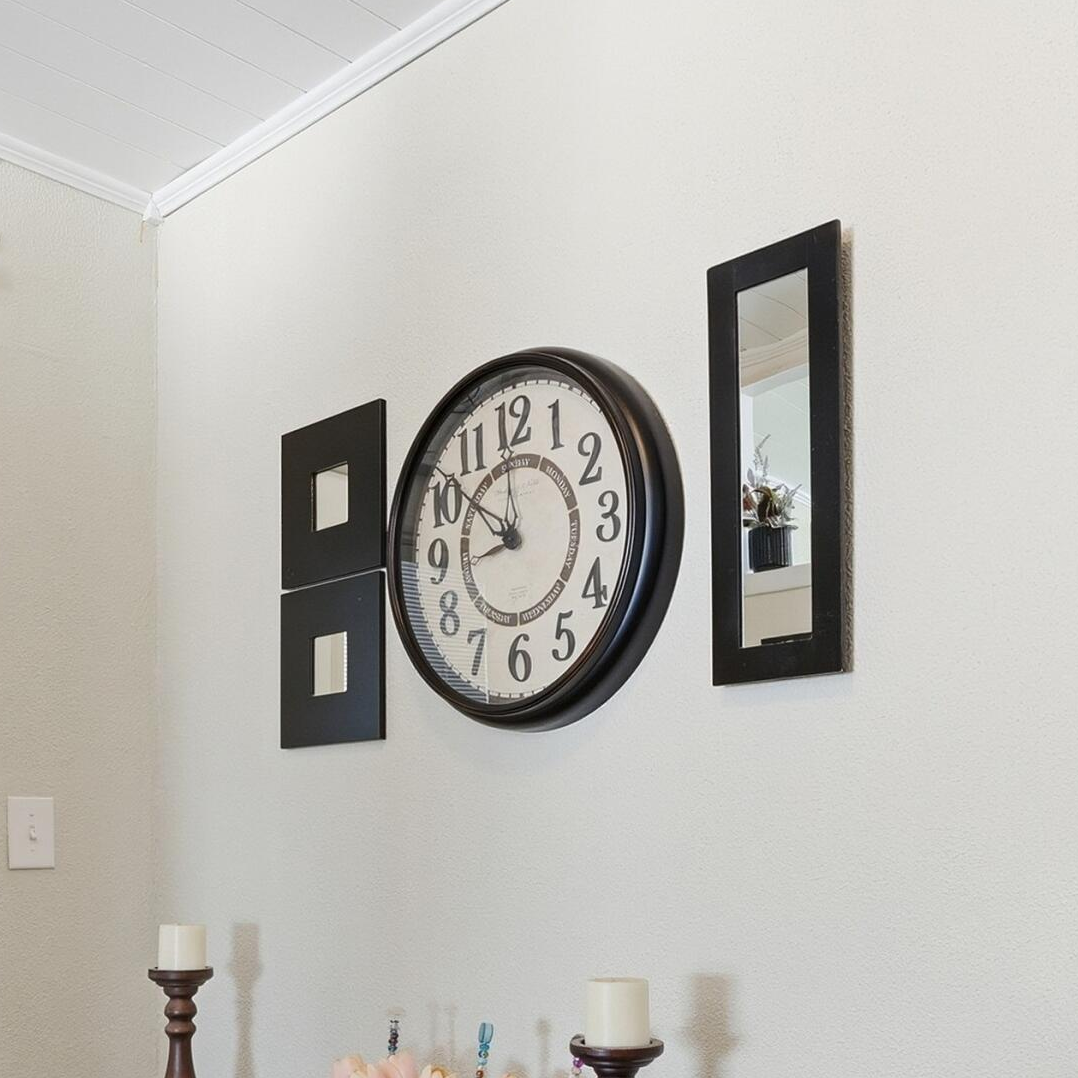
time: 8:51
